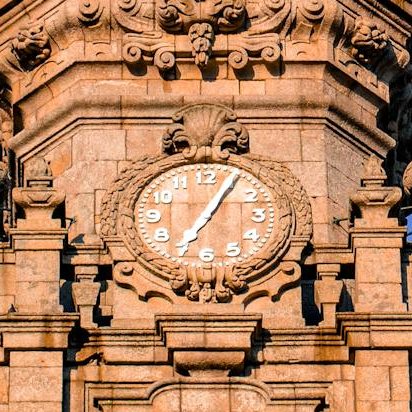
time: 7:04
